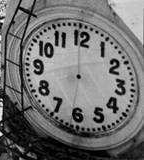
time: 11:59
